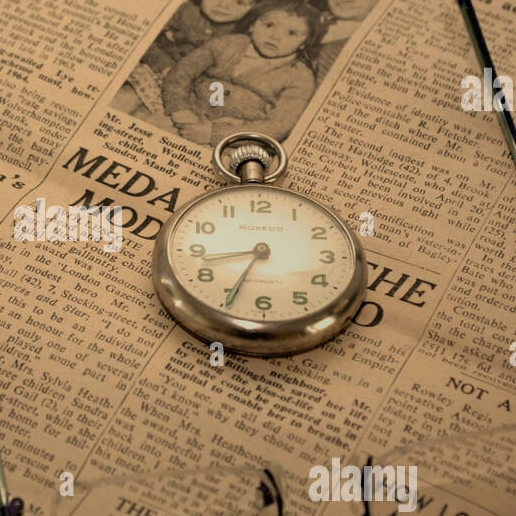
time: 8:34
